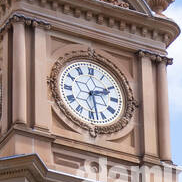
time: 2:27
